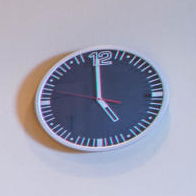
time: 4:59
